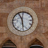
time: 11:28
